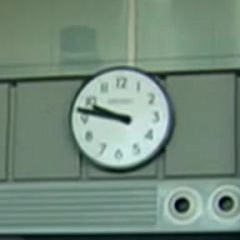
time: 9:46
